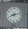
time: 8:12
